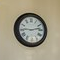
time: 9:12
